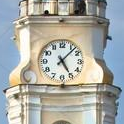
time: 5:07
